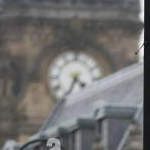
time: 4:34
